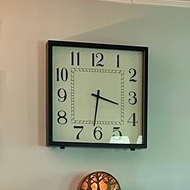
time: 3:31
